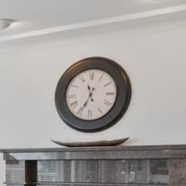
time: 11:34
